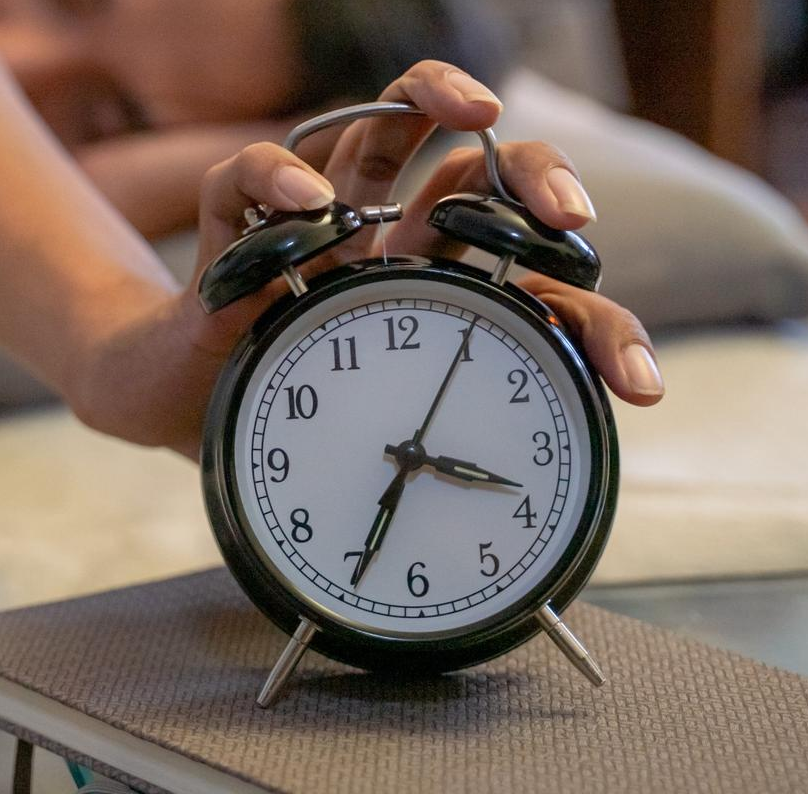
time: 3:34
